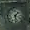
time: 1:28
